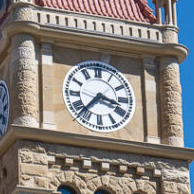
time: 3:37
